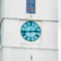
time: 2:43
